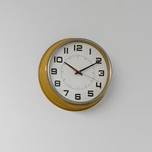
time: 10:10
